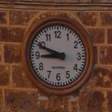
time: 8:48
